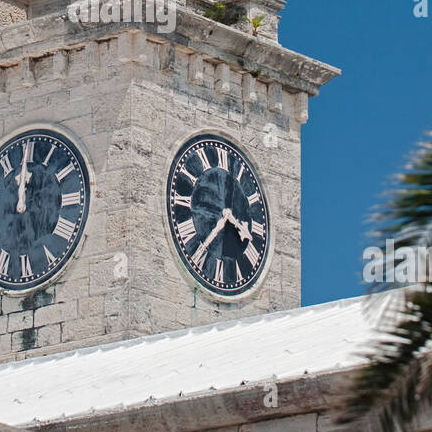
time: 3:36
